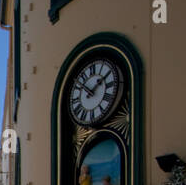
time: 1:51
